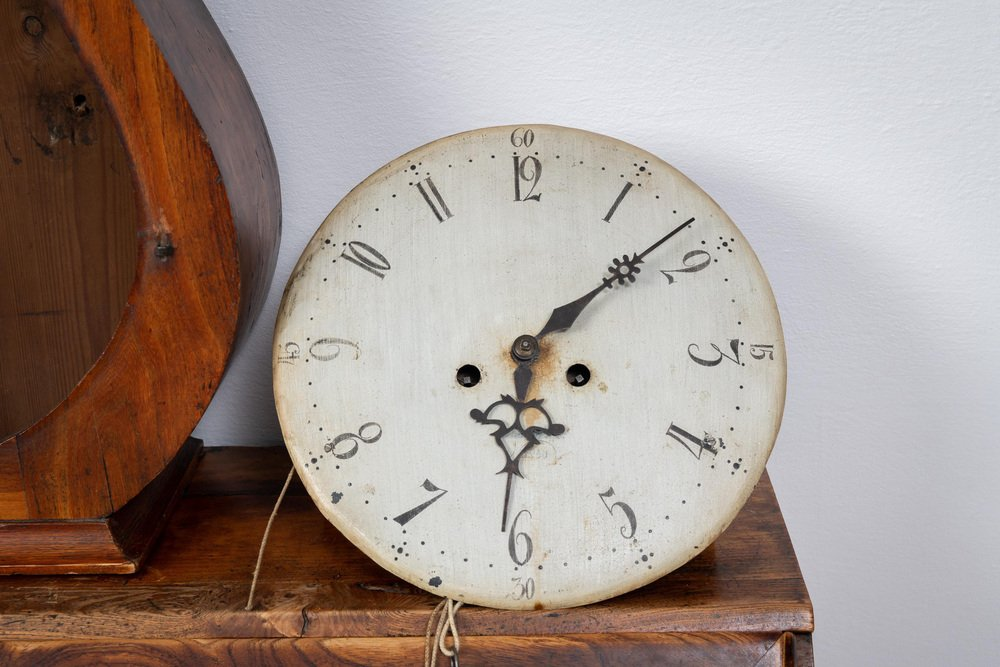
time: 6:08
